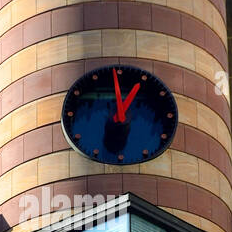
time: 12:59
